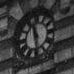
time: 11:28
